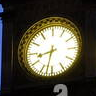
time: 8:32
